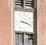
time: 3:18
